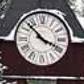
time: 3:52
